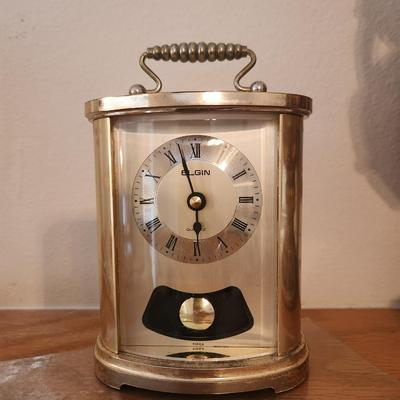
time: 5:57
